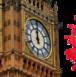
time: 11:59
